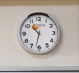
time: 10:32
